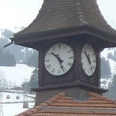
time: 10:26
